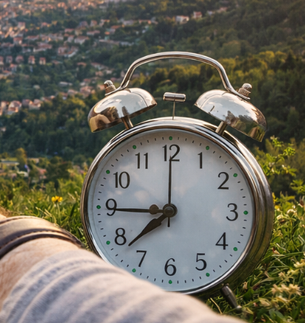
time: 7:44
